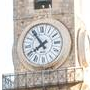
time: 7:53
